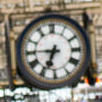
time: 6:45
